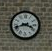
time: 3:42
